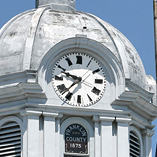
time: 9:37
